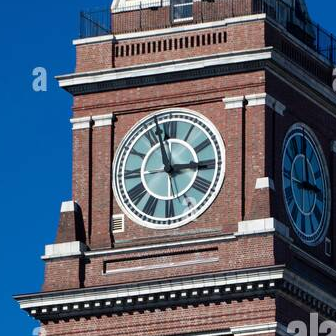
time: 2:57
